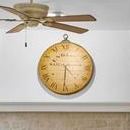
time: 4:30
